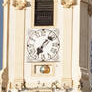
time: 7:08
